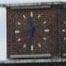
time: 11:32
